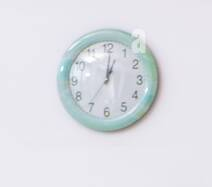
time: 1:01
